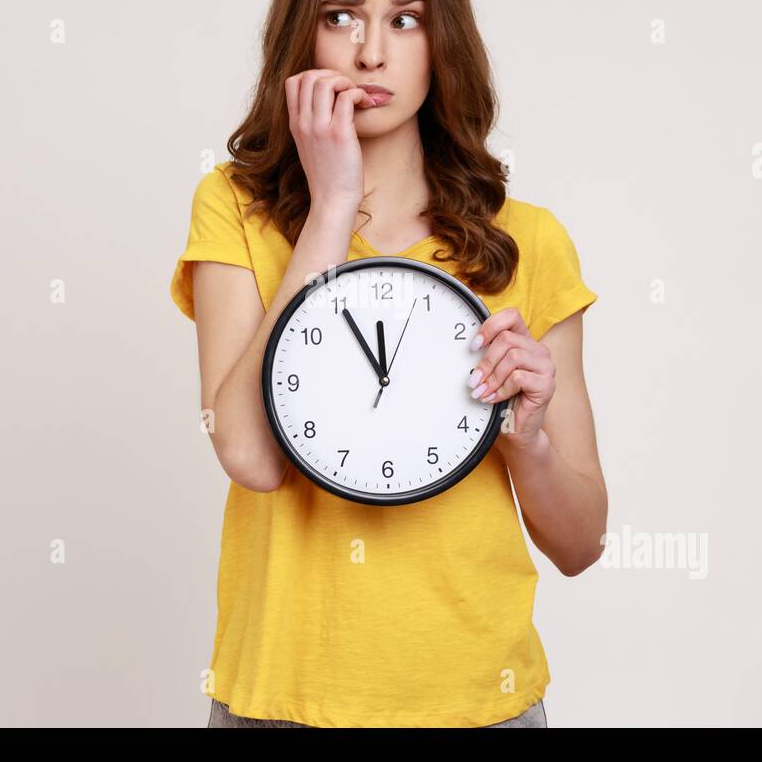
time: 11:54
